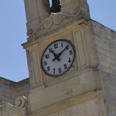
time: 11:10
